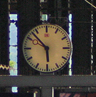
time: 5:52
